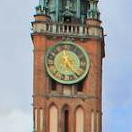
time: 4:21
